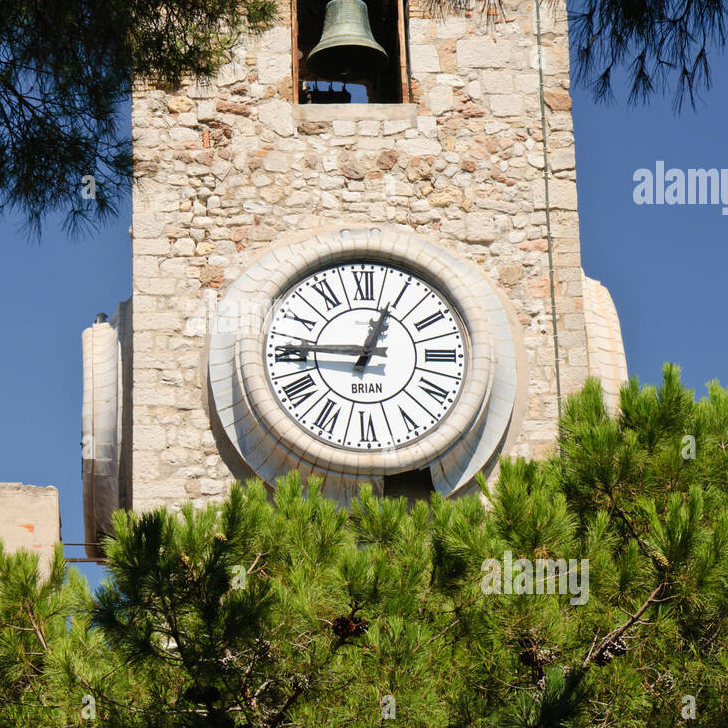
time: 12:45
